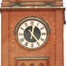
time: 12:23
